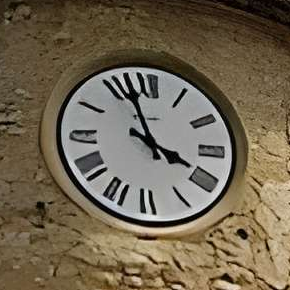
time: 3:57
